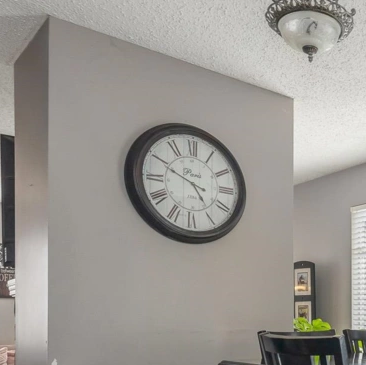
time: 4:49
